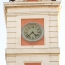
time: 4:37
